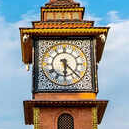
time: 6:22
